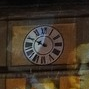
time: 10:02
